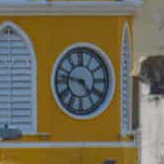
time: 4:46
